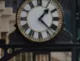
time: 1:22
